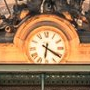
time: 6:20
